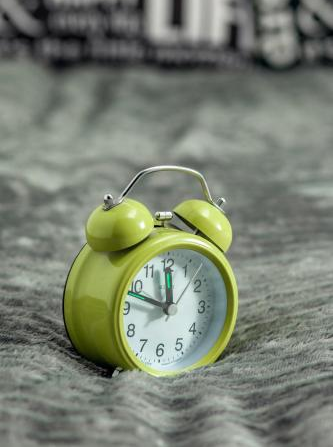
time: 11:48
